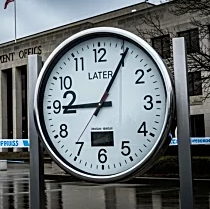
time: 9:05
